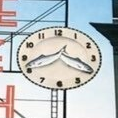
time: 8:19
